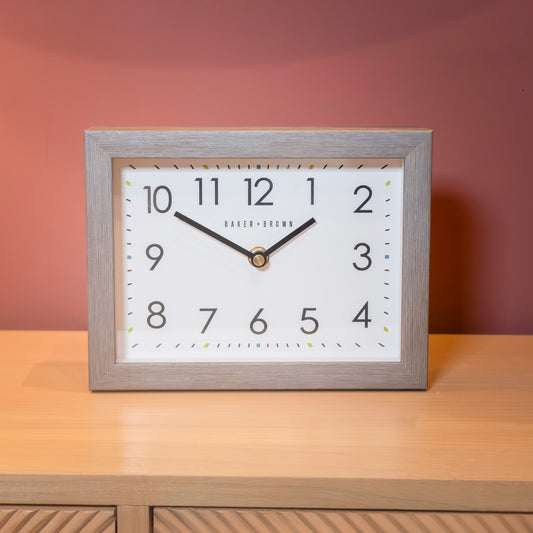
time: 1:50
